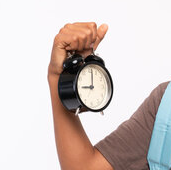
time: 9:01
